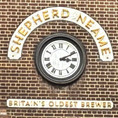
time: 3:11
